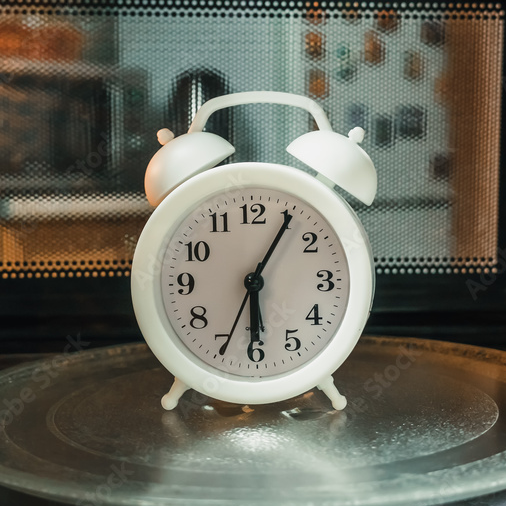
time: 6:05
